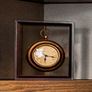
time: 6:17
